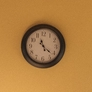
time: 11:21
